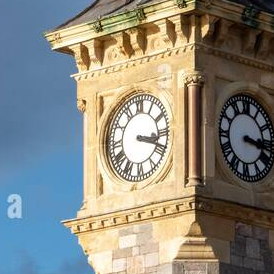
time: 3:18
